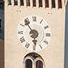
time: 5:53
